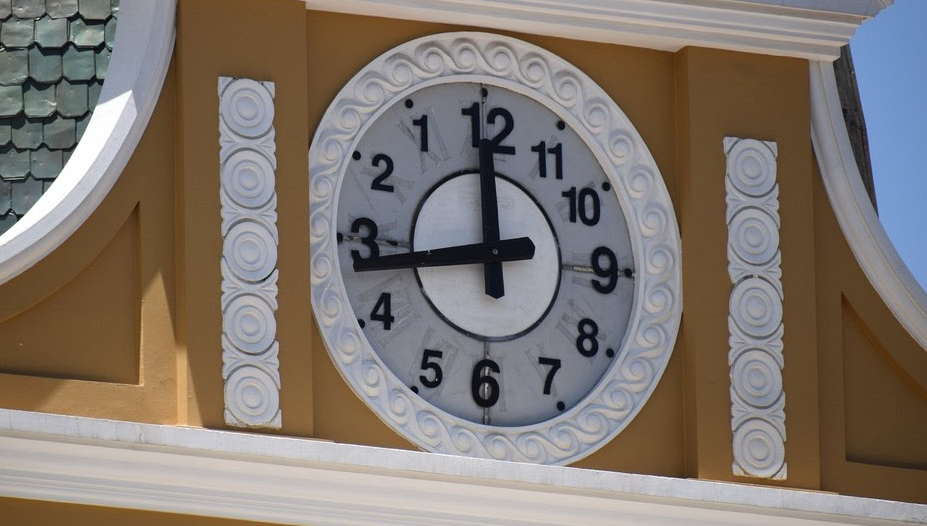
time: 11:43
